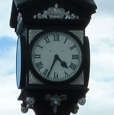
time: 4:33
